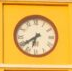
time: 6:39
